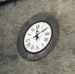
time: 12:10
